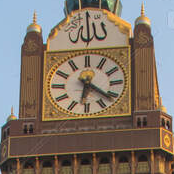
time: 6:21
